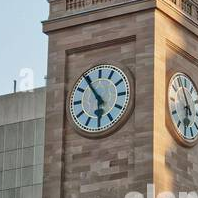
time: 5:54
